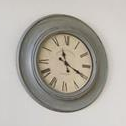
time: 11:19
